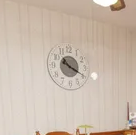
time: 10:19
